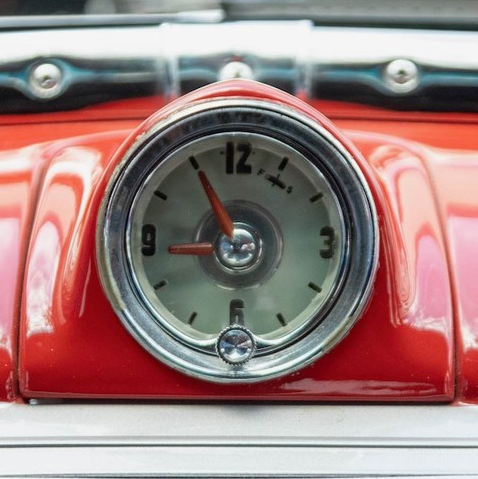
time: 8:55
